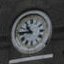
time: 10:45
